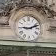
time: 9:11
